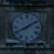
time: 8:09
